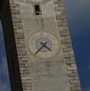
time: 4:37
